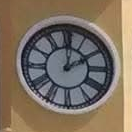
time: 2:00
